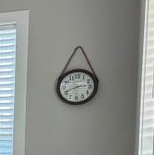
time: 2:41
